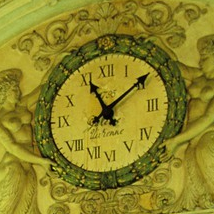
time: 11:09
